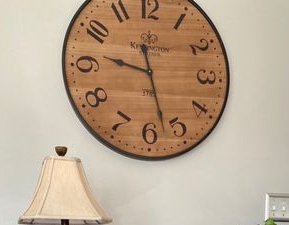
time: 9:27
